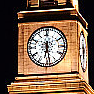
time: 6:28
